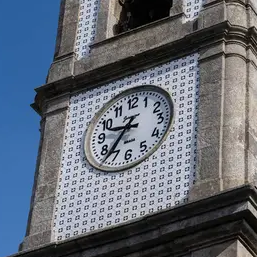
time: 9:36
